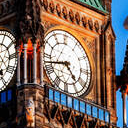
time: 4:42
